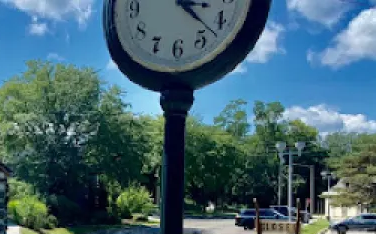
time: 3:22
